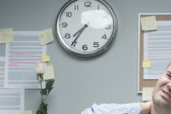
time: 7:35
